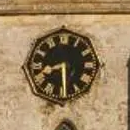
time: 8:29
